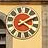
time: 4:09
